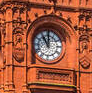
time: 11:00
